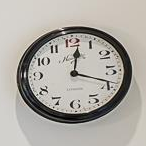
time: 12:18
